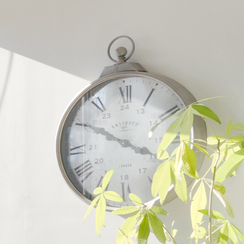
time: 3:50
